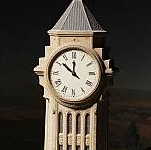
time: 11:51
